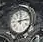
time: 12:13
